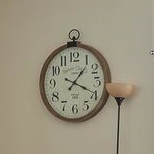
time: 1:18
